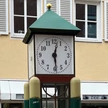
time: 12:28
